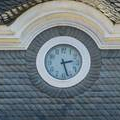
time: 2:27
